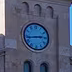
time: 2:43
